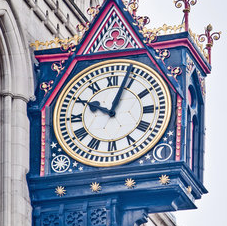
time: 10:03
